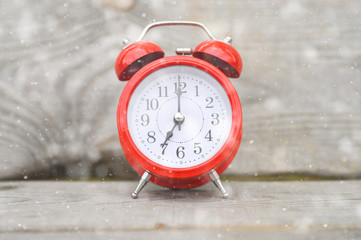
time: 7:00
